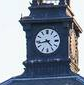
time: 4:42
